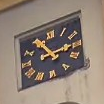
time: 2:54
